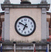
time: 6:50
